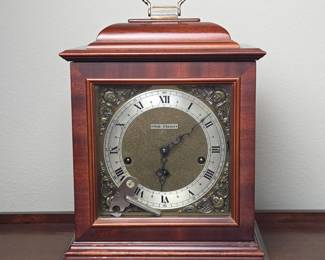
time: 6:08
